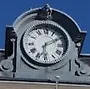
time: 6:10
